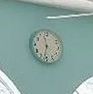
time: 11:32
